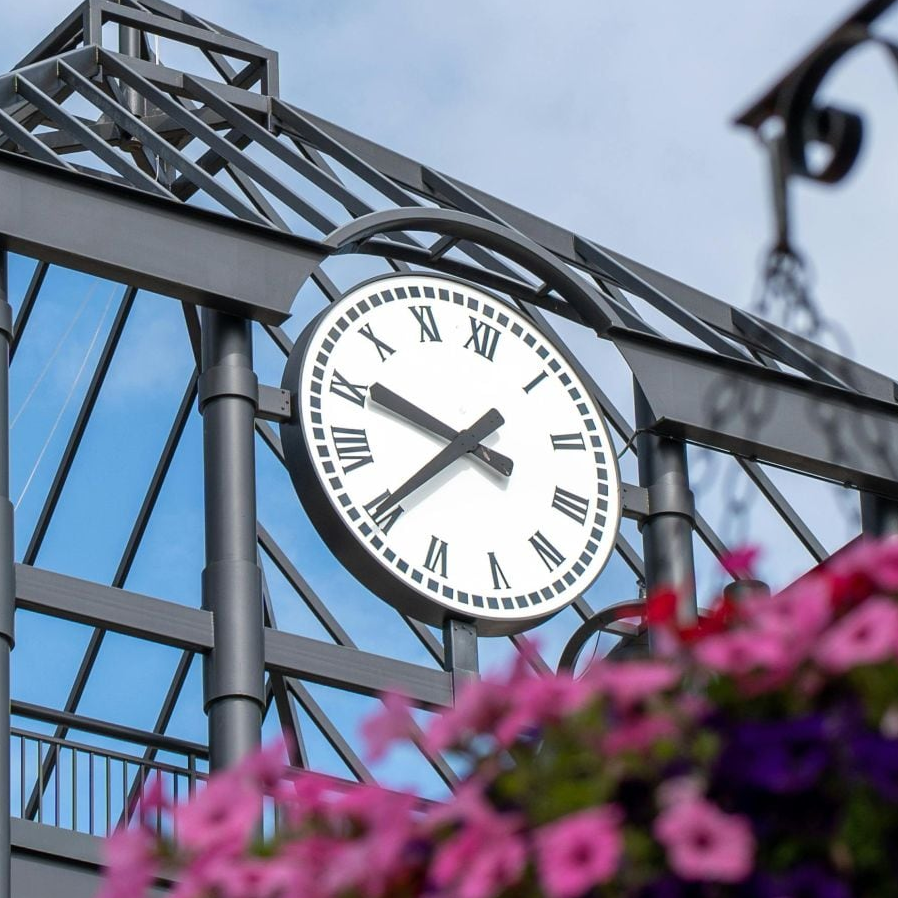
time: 9:35
